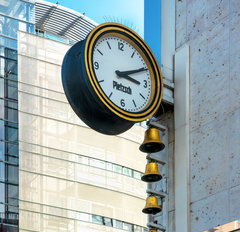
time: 3:10
